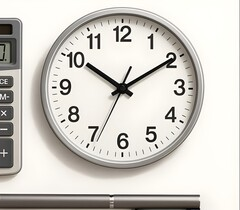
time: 10:09
